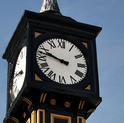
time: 9:47
